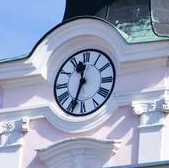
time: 11:33
